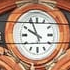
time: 9:56
